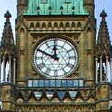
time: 11:49
